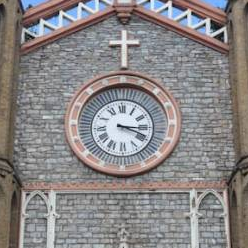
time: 3:18
